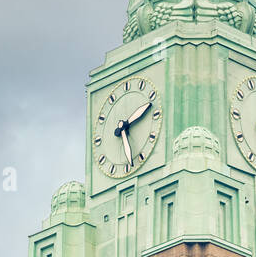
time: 2:28
